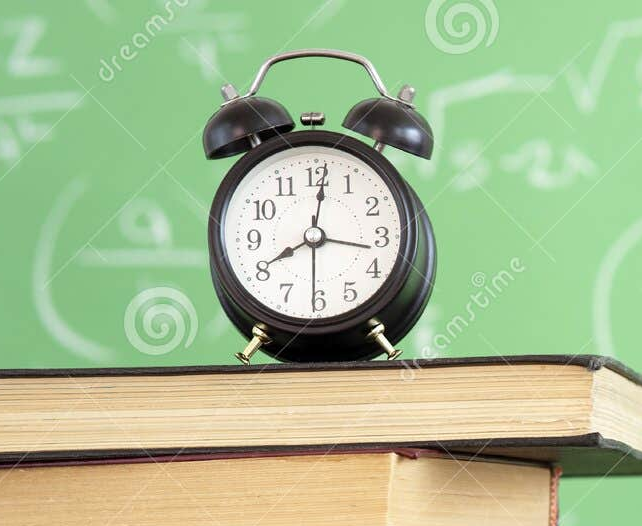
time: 8:01
